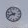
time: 10:42
